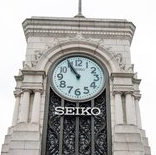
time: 10:55
